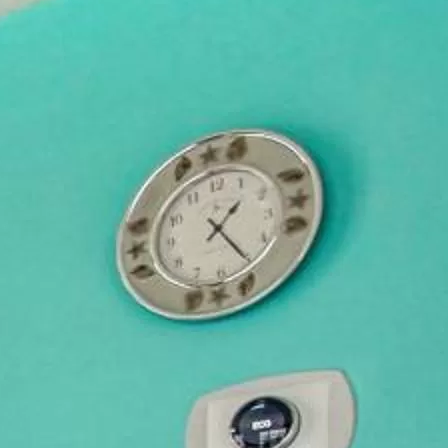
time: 1:23
